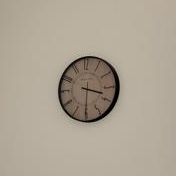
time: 3:30
